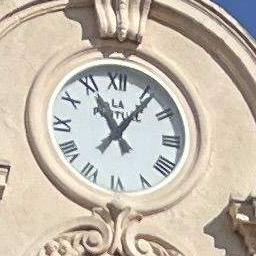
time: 11:06
